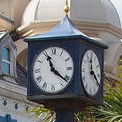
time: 11:21
